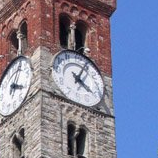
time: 4:04
